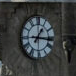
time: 1:16
